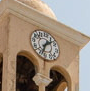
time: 1:33
